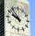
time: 9:53
